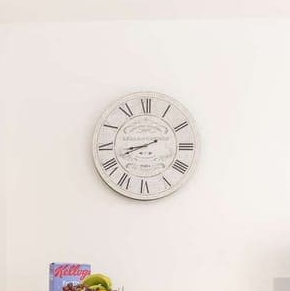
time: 8:41
